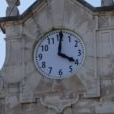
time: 4:01
